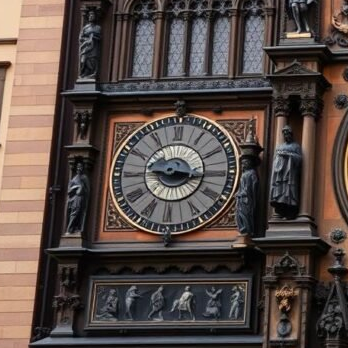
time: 9:15
